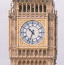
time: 10:33
